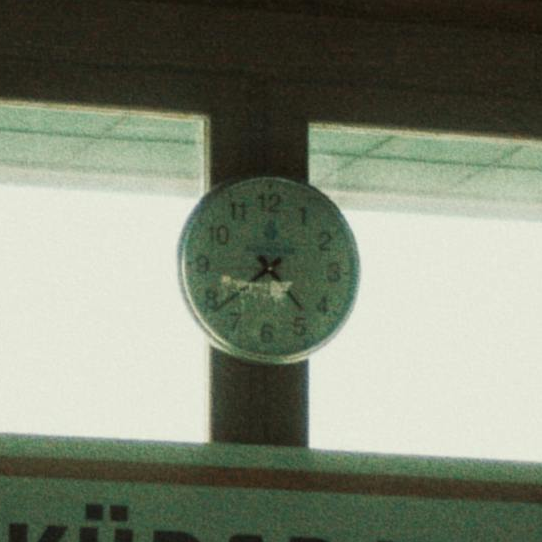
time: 4:38
